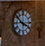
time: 3:51
